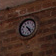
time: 4:23
